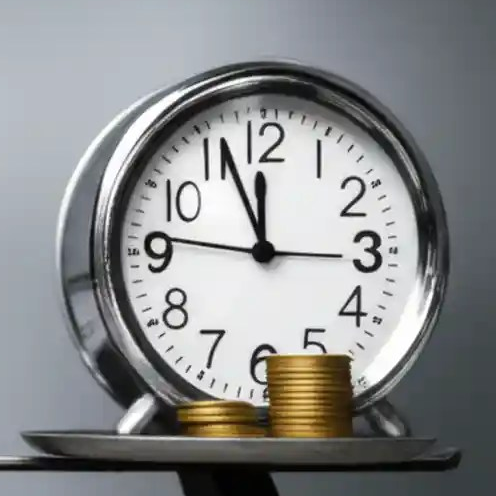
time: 11:56
